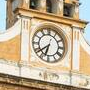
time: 6:38
